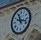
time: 11:17
